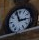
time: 2:56
